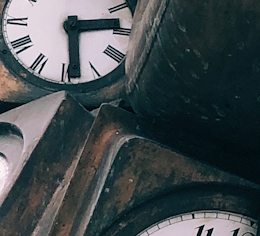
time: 2:29
